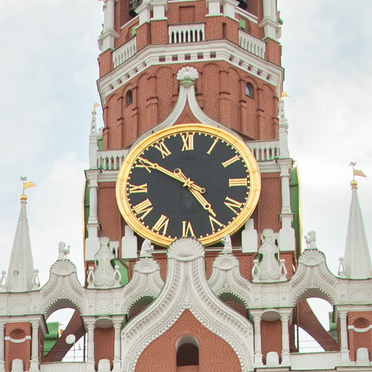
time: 4:50
